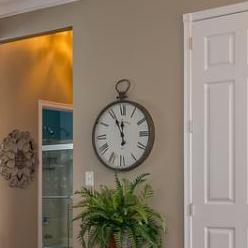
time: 11:55
